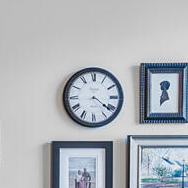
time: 4:21
